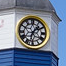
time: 1:32
